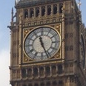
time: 11:26
